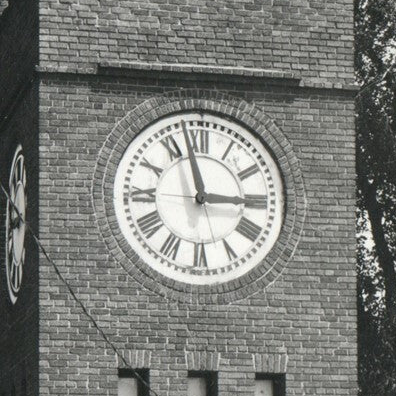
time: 2:57
